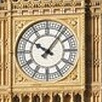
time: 10:06
